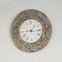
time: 1:13
